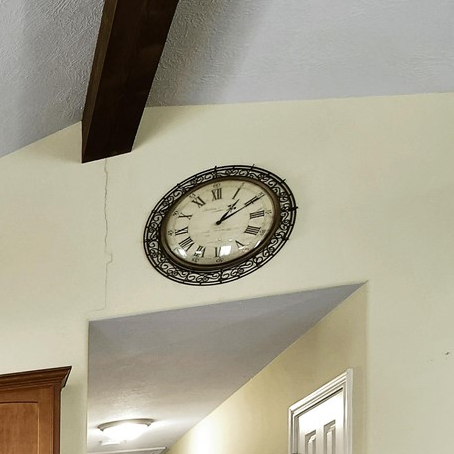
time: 1:10
